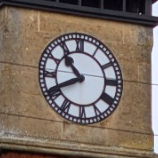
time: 10:40
